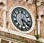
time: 5:18
